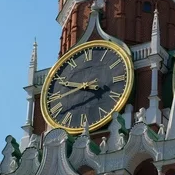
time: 3:48
